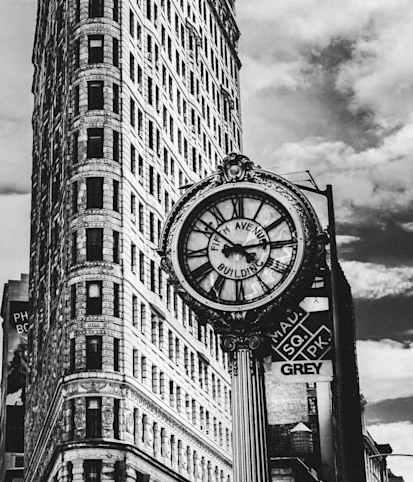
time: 2:51
